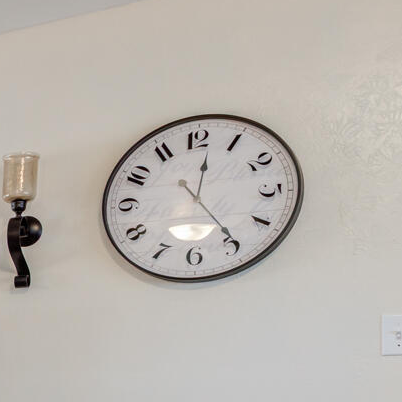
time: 12:24
